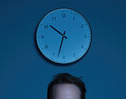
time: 10:32
